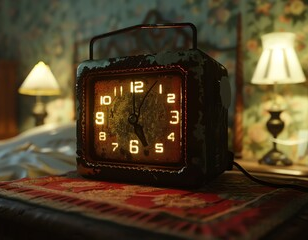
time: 5:03
